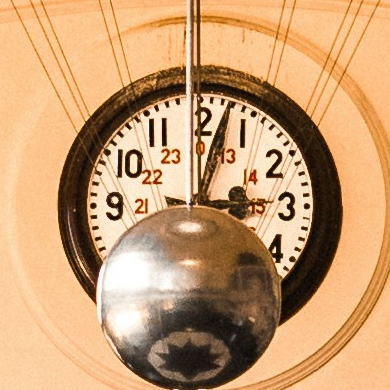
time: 3:02
